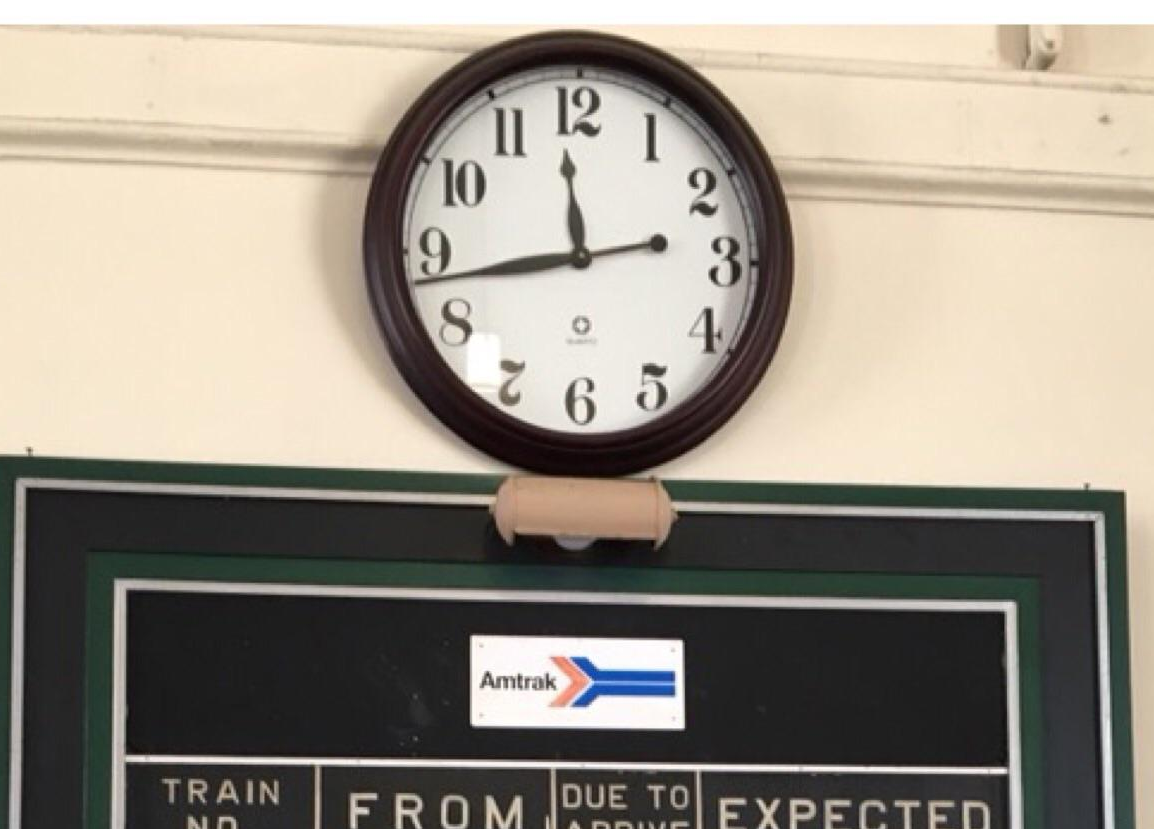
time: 11:43
